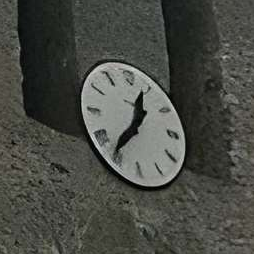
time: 12:36
